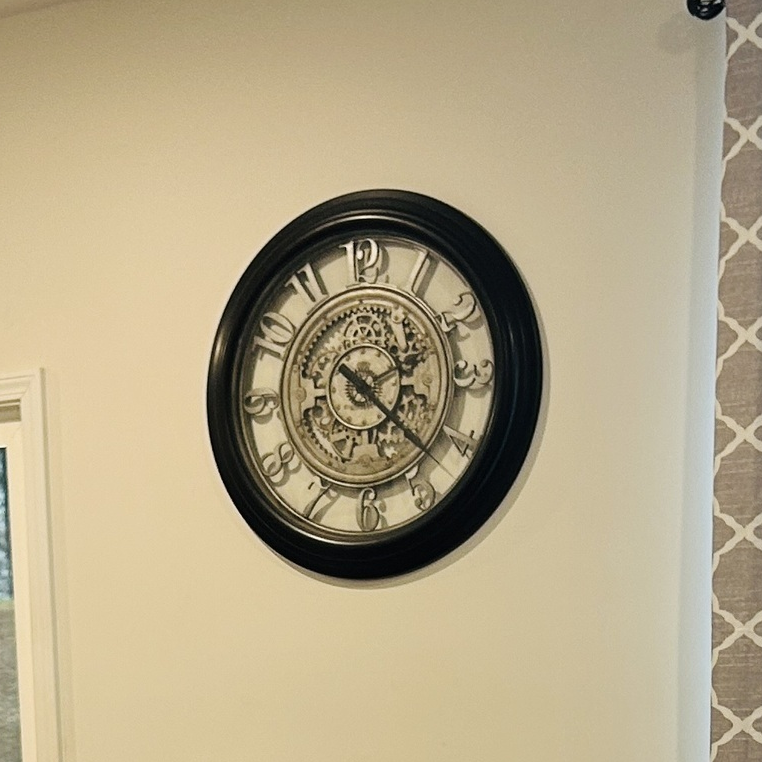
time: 10:22
